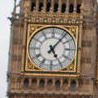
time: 5:06
